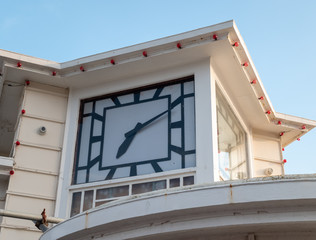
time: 7:10
